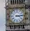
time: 3:13
